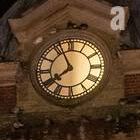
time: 7:55
